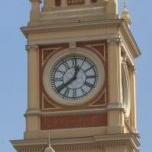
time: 12:38
